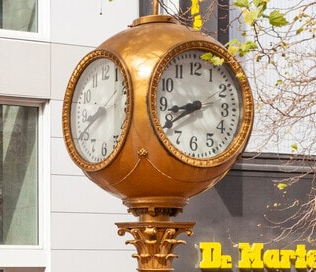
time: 8:40
